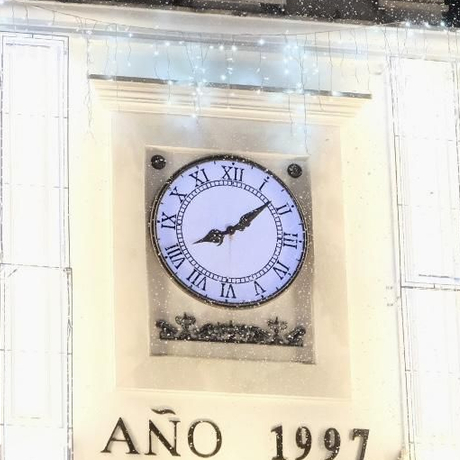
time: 8:07
